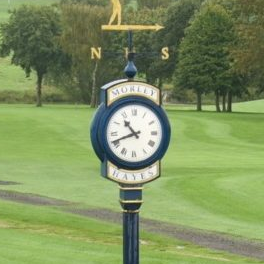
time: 10:41
